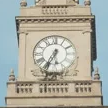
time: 5:34
